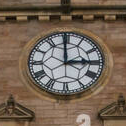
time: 2:59
